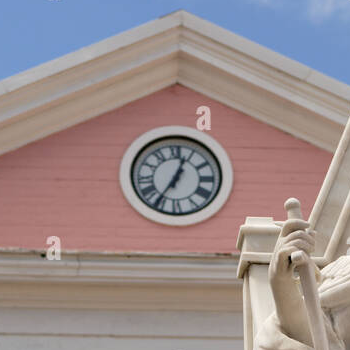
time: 12:35
